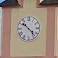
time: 10:22
